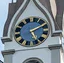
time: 5:09
